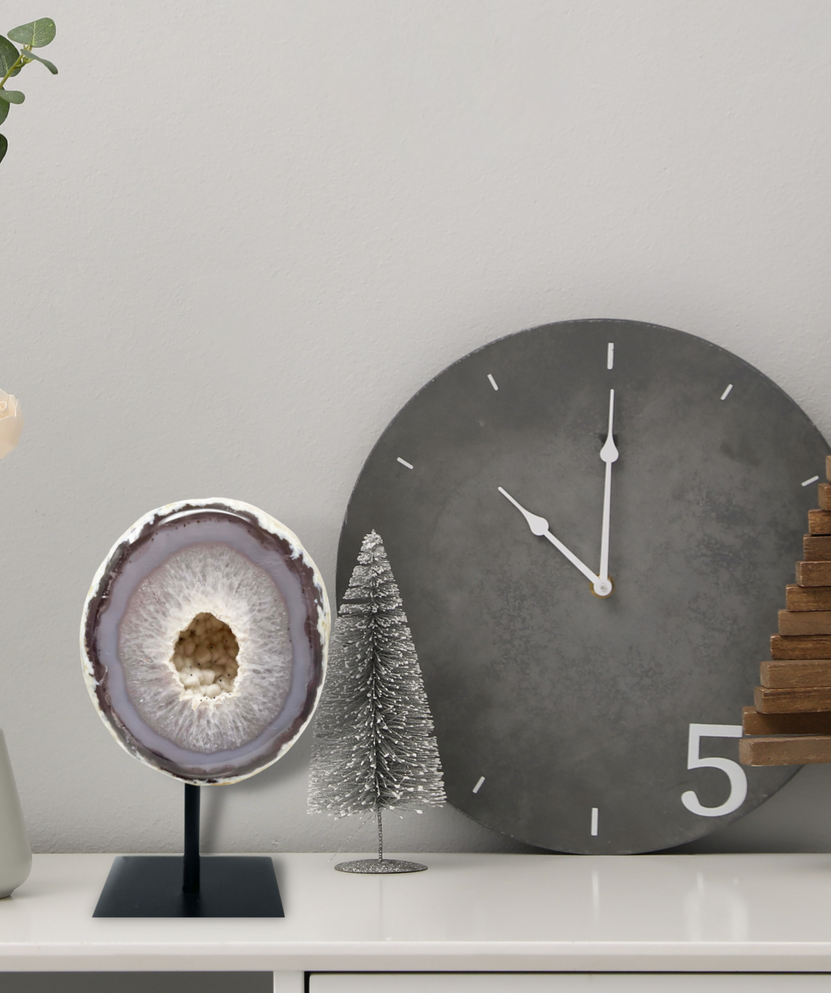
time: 10:00
